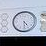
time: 4:29
